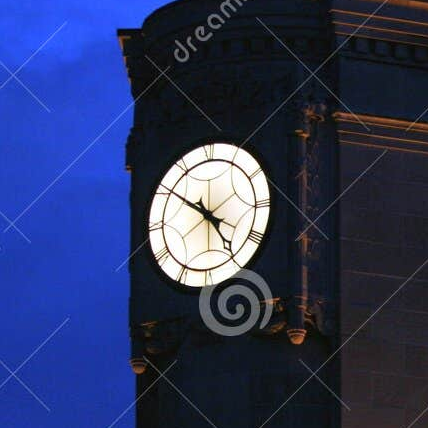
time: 4:50
